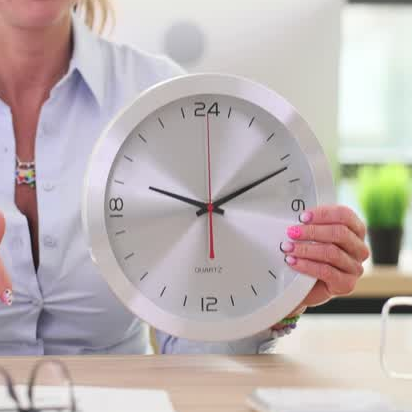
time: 9:10
